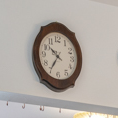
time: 10:35
